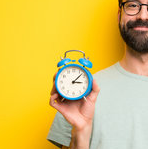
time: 3:07
